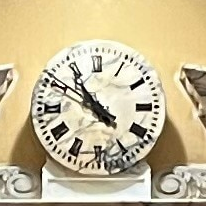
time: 10:49
